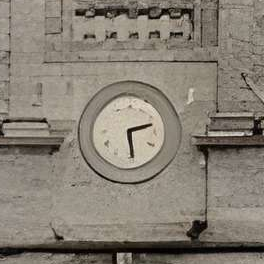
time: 2:28
